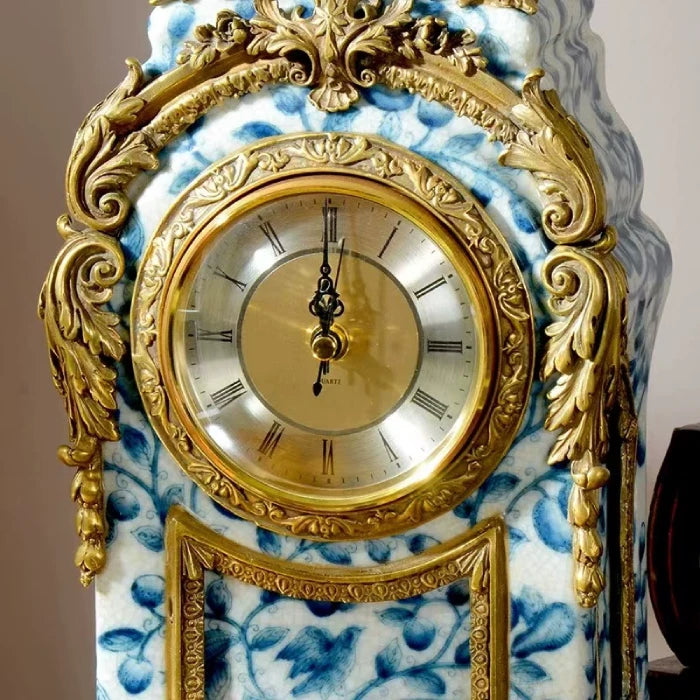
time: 12:00
